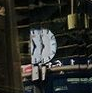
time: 6:58
